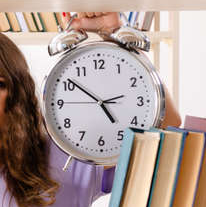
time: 4:51
